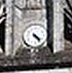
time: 4:23
